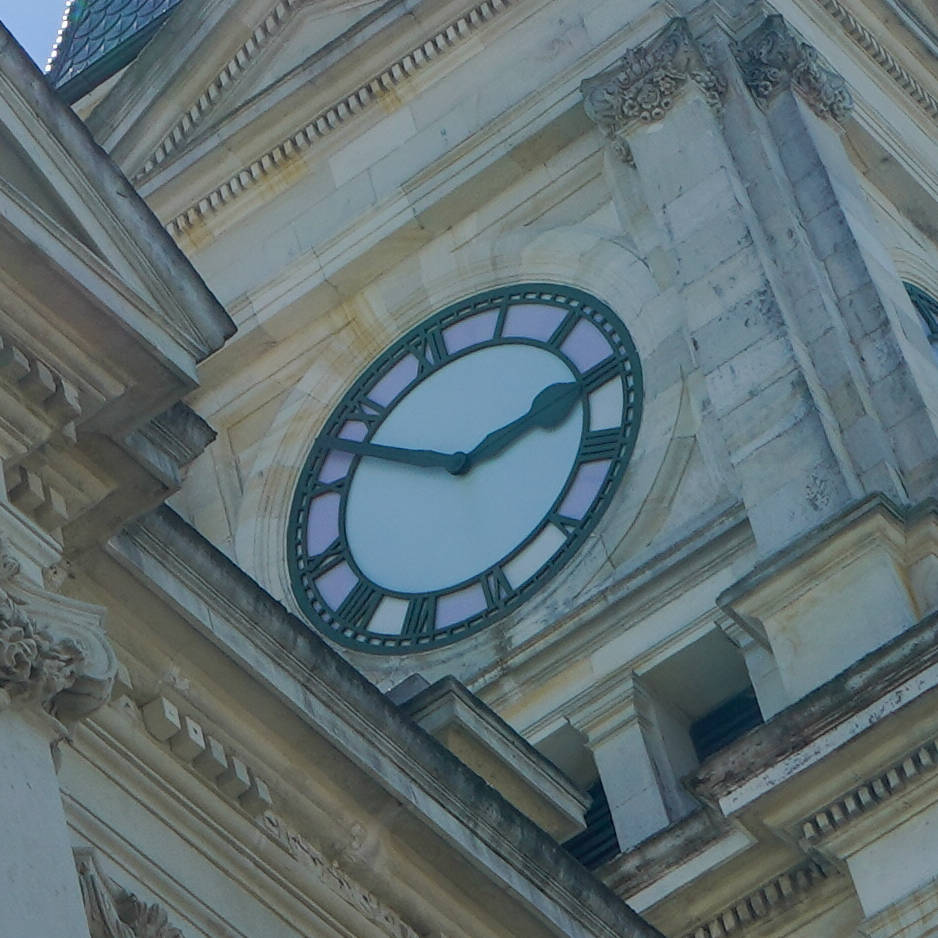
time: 1:47
